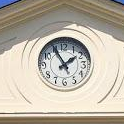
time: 1:55
